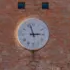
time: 2:57
